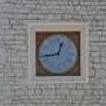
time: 12:43
